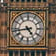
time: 4:43
